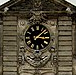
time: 3:08
